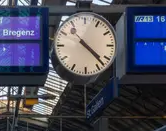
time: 4:22
